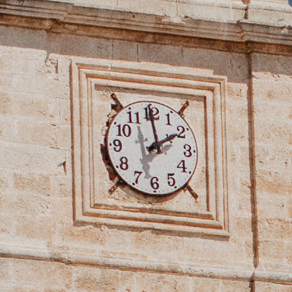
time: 1:59
